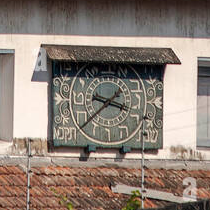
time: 3:38
